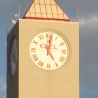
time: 5:01
